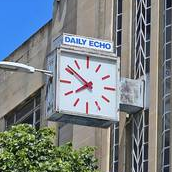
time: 7:51
